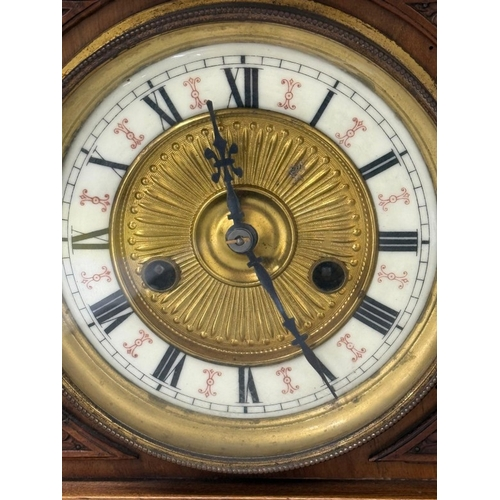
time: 11:25
